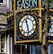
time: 11:28
